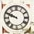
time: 9:48
